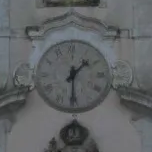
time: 1:30
